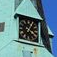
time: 4:04
